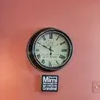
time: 5:49
